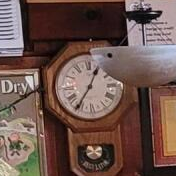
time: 12:35
